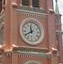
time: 11:40
